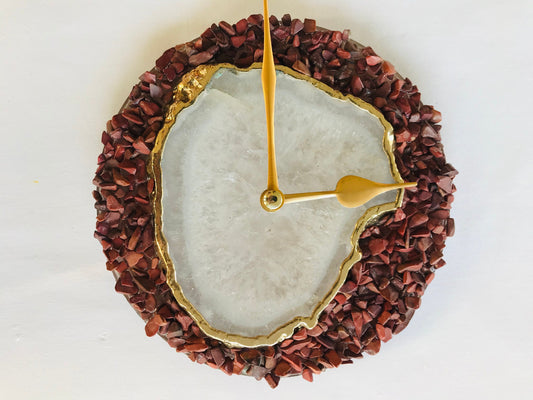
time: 2:59
